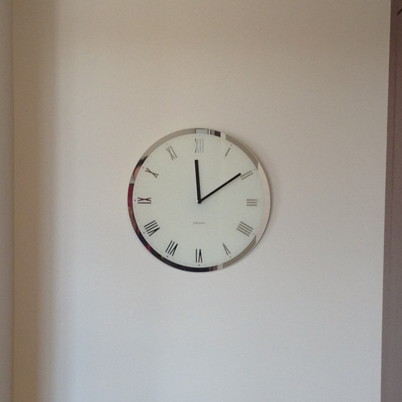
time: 12:09
